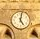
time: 5:01
